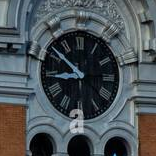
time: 8:51
